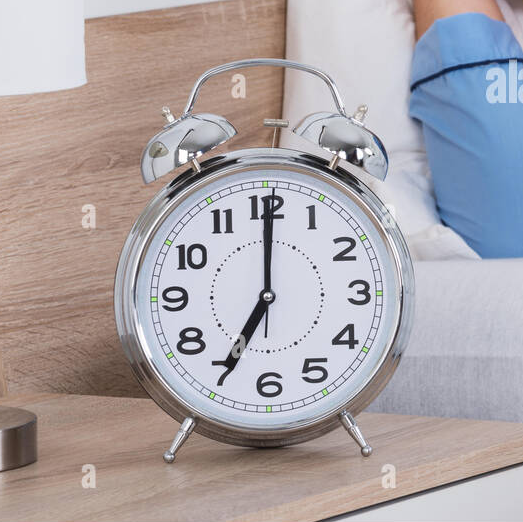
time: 7:00
